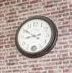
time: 8:50
